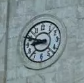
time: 8:48
